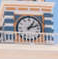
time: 1:11
